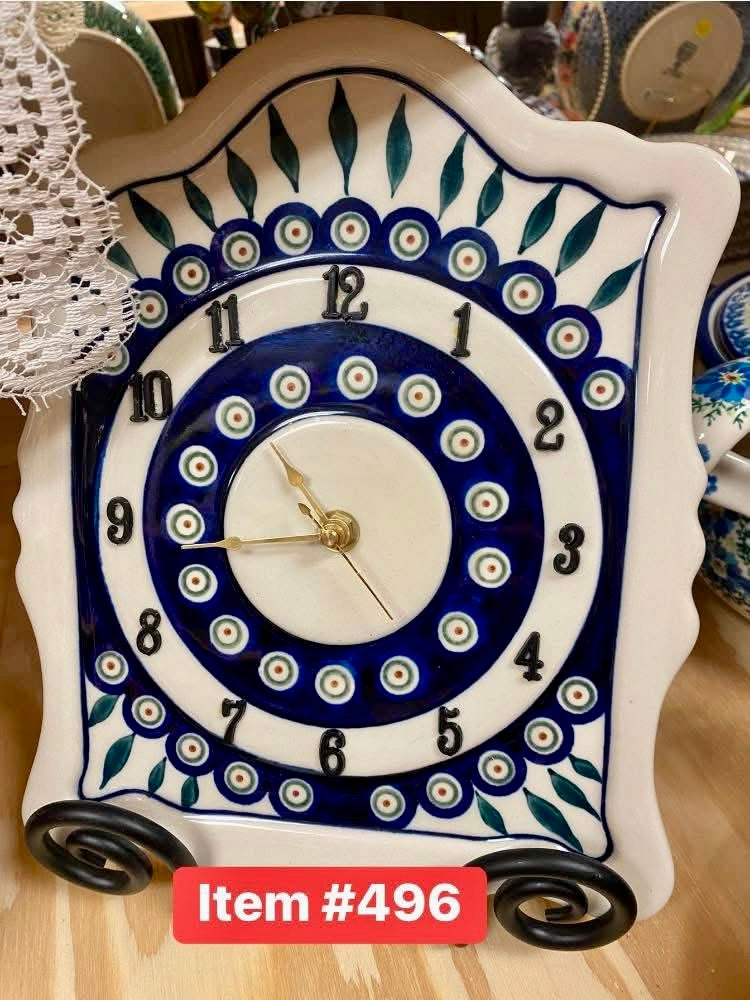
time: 10:43
